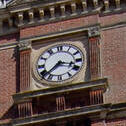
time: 3:37
